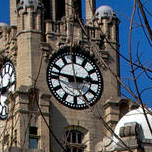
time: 2:46
